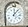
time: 12:07
